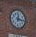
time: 12:16
